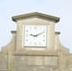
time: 9:10
